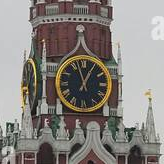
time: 12:57
